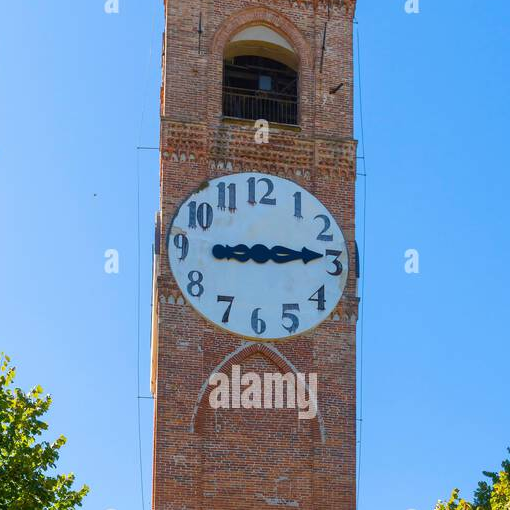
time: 9:13
